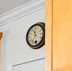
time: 11:35
